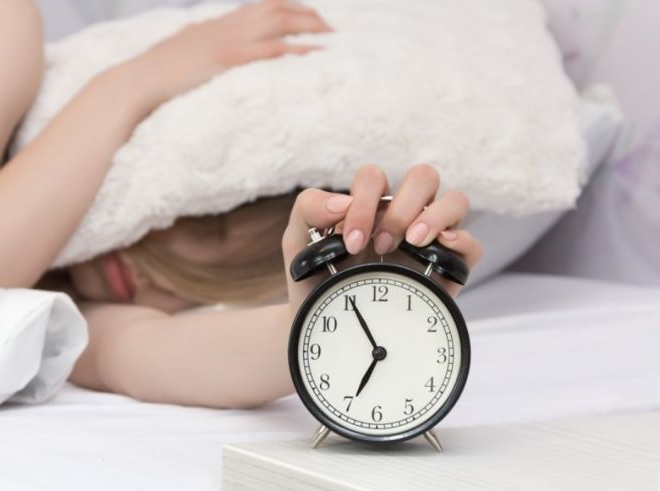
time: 6:55
